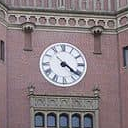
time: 4:21
